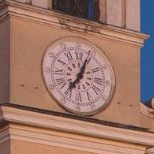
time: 7:03
